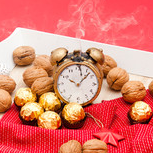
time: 10:07
